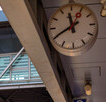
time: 11:40
